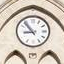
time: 8:53
